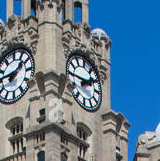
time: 1:45
